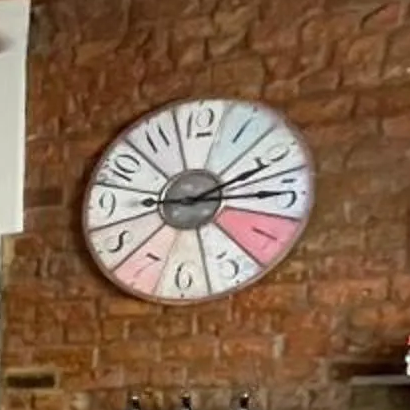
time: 2:15
